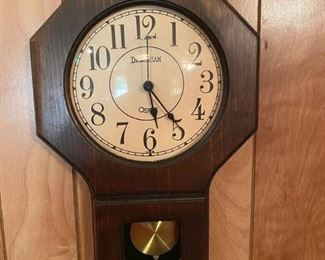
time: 5:23
